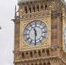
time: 11:30
